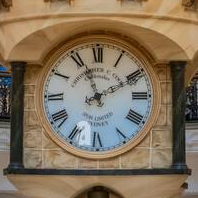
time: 1:56
